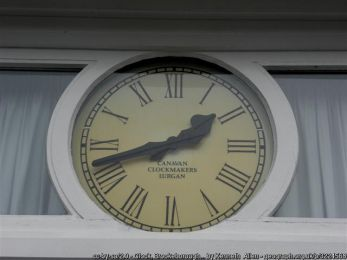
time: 1:42
